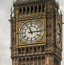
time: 11:14
